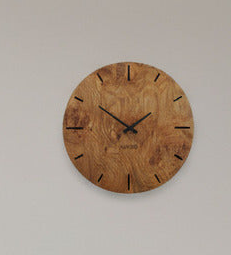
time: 1:50
